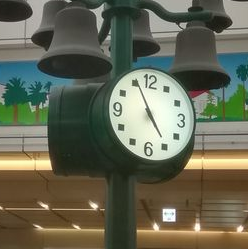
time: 4:55
